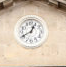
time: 12:40
